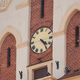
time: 4:24
